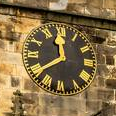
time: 11:39
